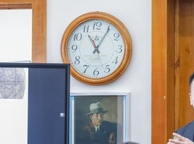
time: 11:05
